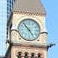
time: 4:53
